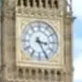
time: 3:25
